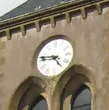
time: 4:46
